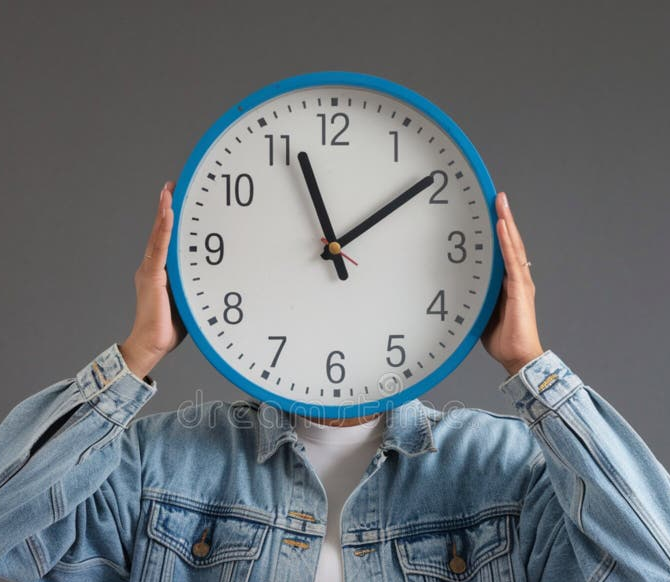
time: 11:09
